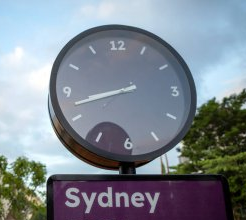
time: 8:42
